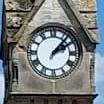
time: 2:07
